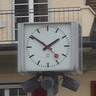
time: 1:51
